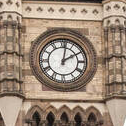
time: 2:01
